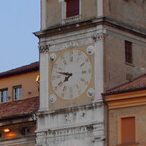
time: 7:47
